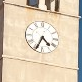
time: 4:34
